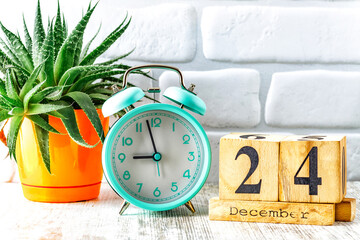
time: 8:57
